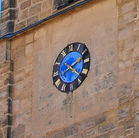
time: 2:21
